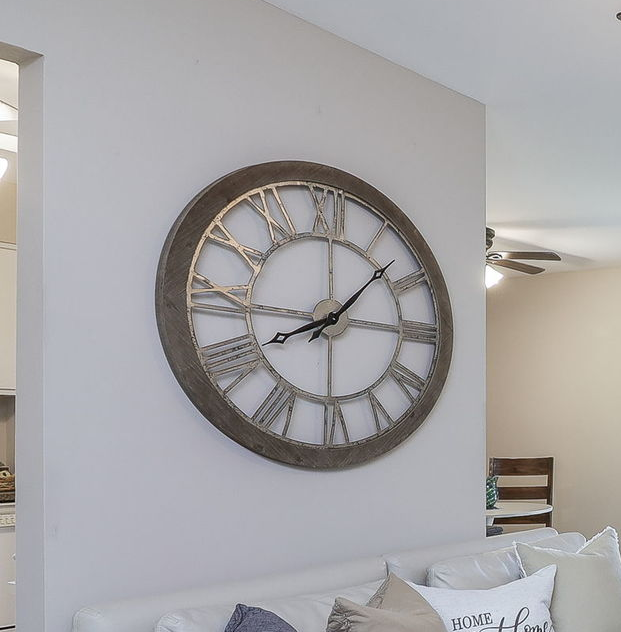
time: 8:07
